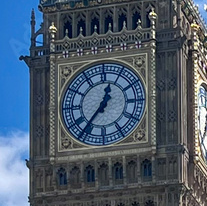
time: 12:36
